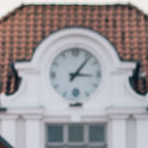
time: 3:06
